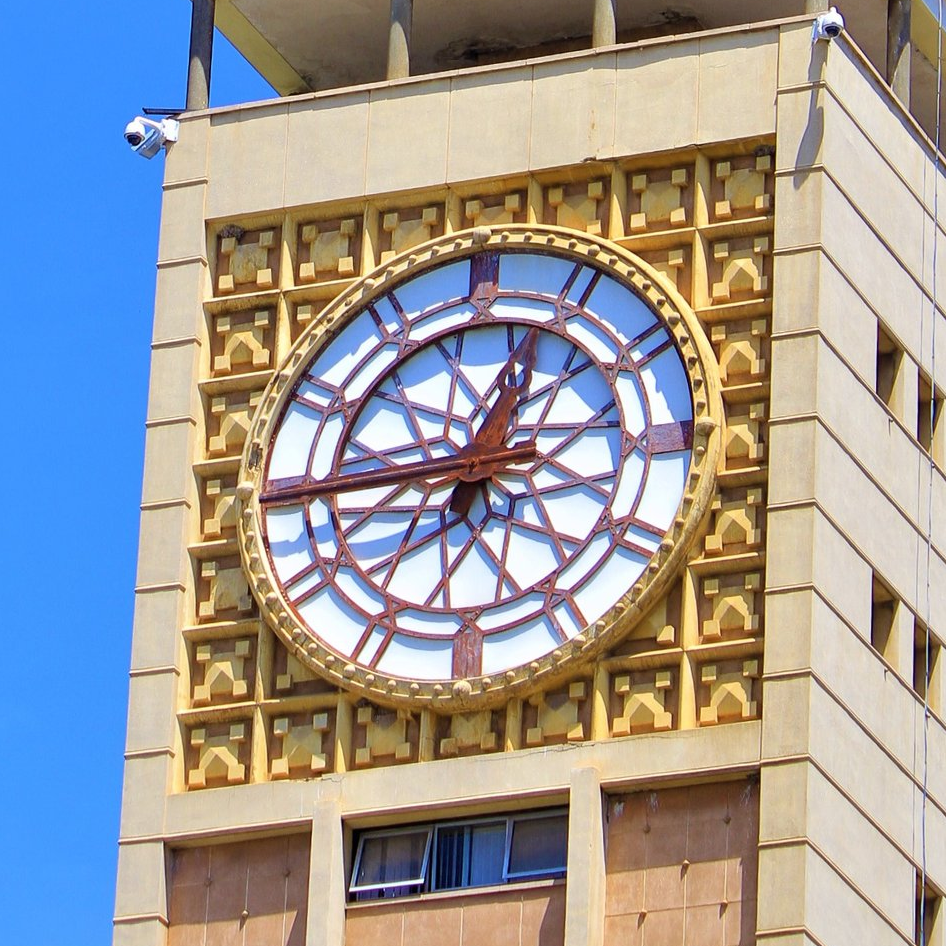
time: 12:44
